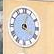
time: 4:03
